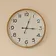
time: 3:03
